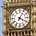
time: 4:04
